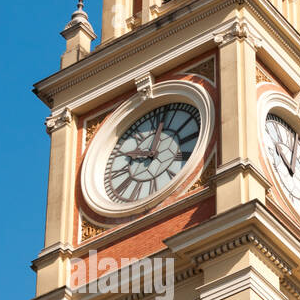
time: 10:02
